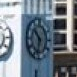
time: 10:32
